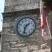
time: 1:32
